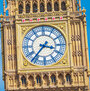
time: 3:36
